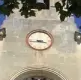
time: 3:43
